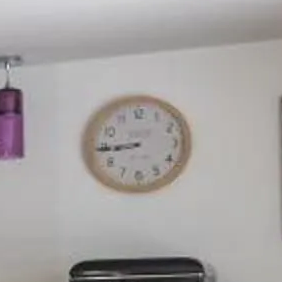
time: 8:44
